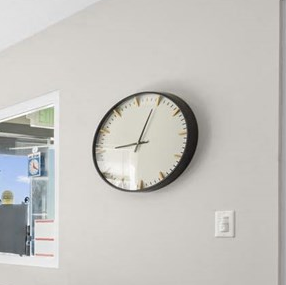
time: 9:04
